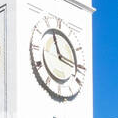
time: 11:16
